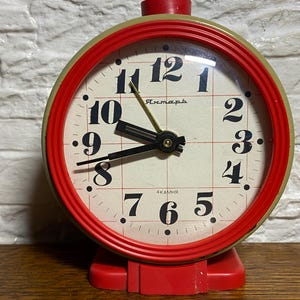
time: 9:42
